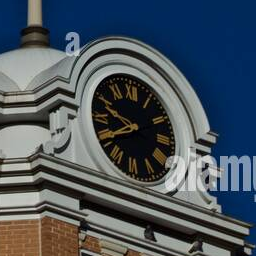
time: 9:40
